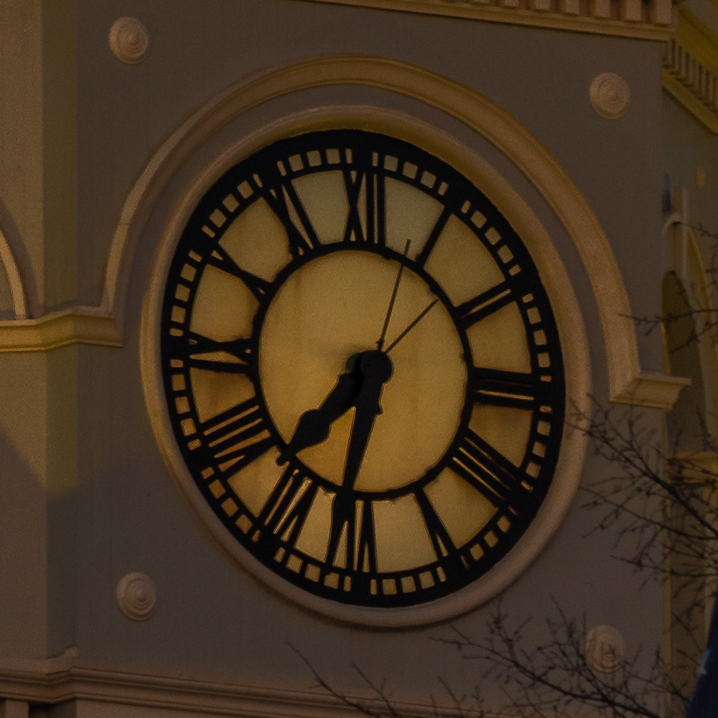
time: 7:32
